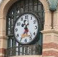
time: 11:35
